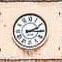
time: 2:15
